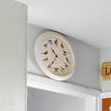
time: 10:35
